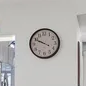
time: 9:49
